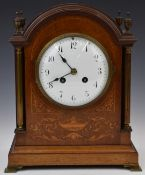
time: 10:41
